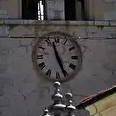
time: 11:26
